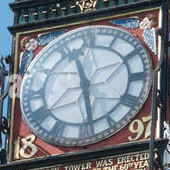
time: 11:28
